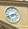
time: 2:40
